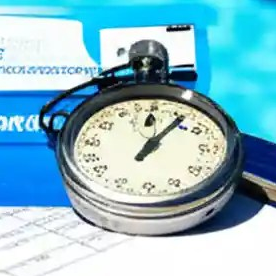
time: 1:06
